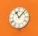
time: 11:07
